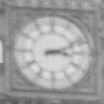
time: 3:11
